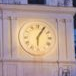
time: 6:05
